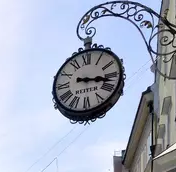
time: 3:17
